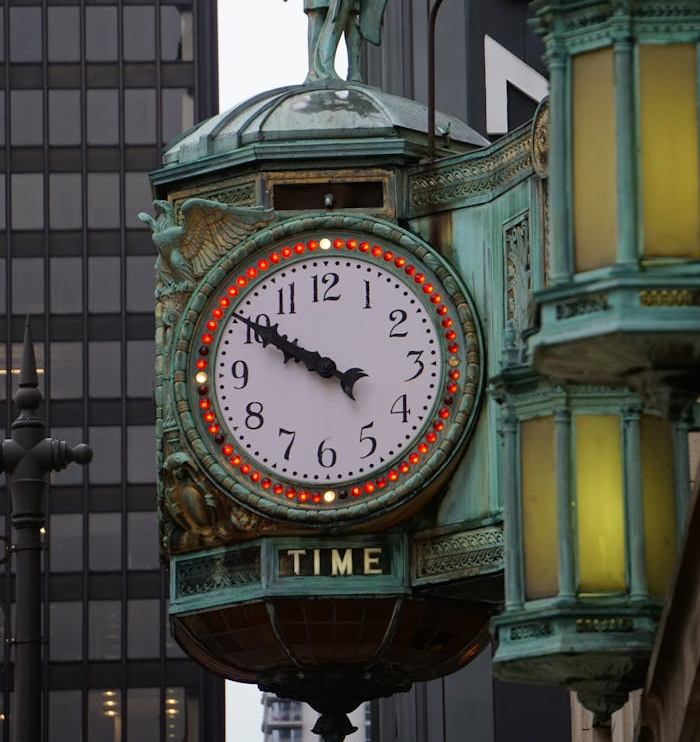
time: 9:50
